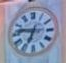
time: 6:46
